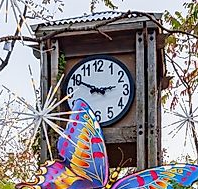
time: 2:49
